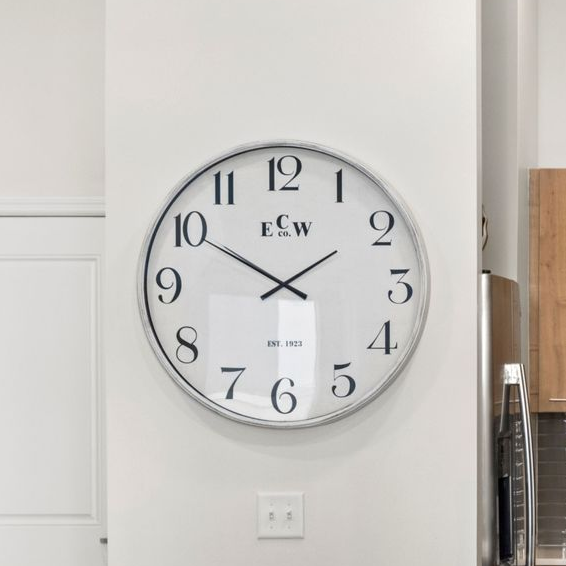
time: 1:50
